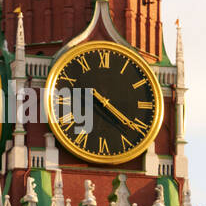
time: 4:21
